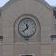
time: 11:37
